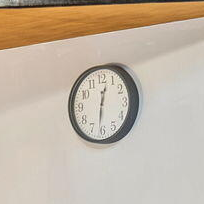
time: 12:31
